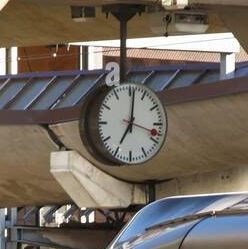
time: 7:01
